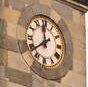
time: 11:38
